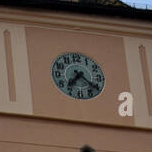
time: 7:21
